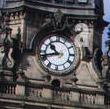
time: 10:42
